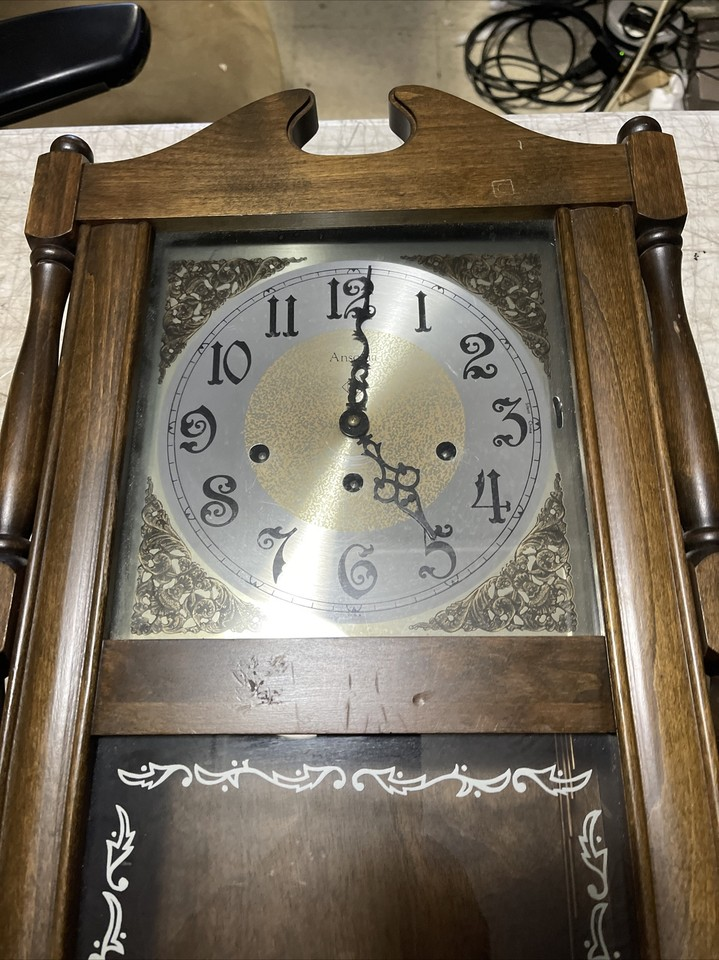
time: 5:01
